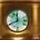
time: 11:40
